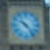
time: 10:23
